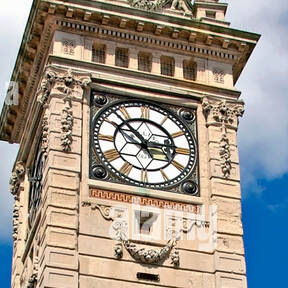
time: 2:52
